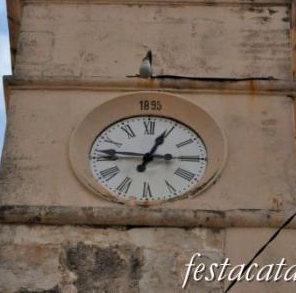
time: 12:46
